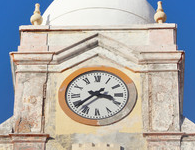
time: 3:38
